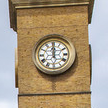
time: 12:00
